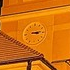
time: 3:14
